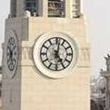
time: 5:01
